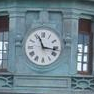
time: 11:16
